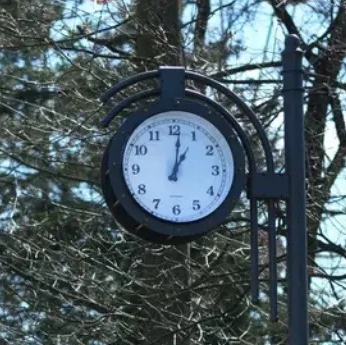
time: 1:01
